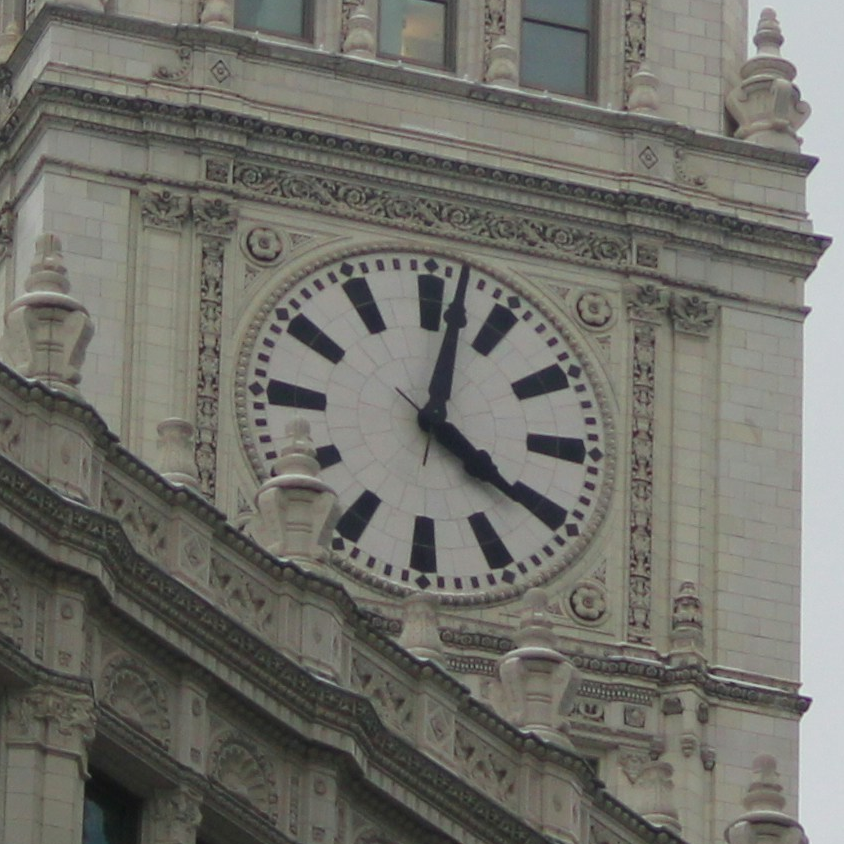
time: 4:01
